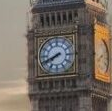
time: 7:40
